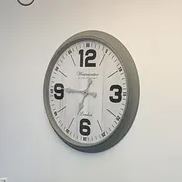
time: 6:45
